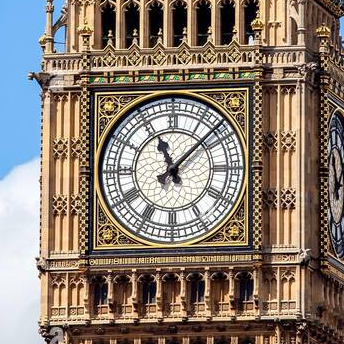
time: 11:07
